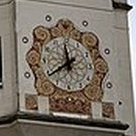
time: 11:39
